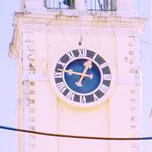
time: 12:46
